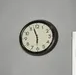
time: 5:57
